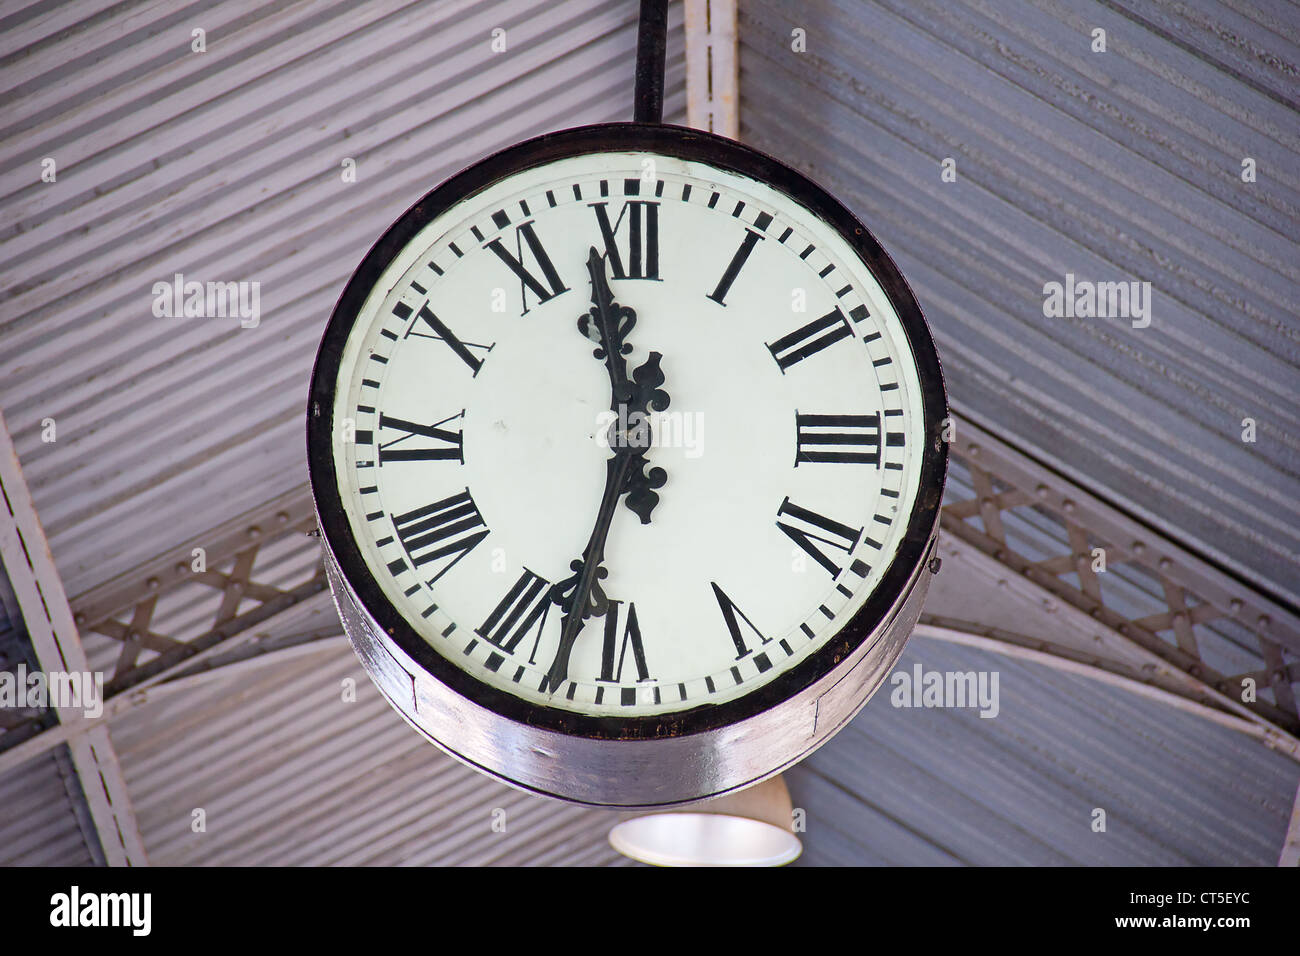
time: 11:32
